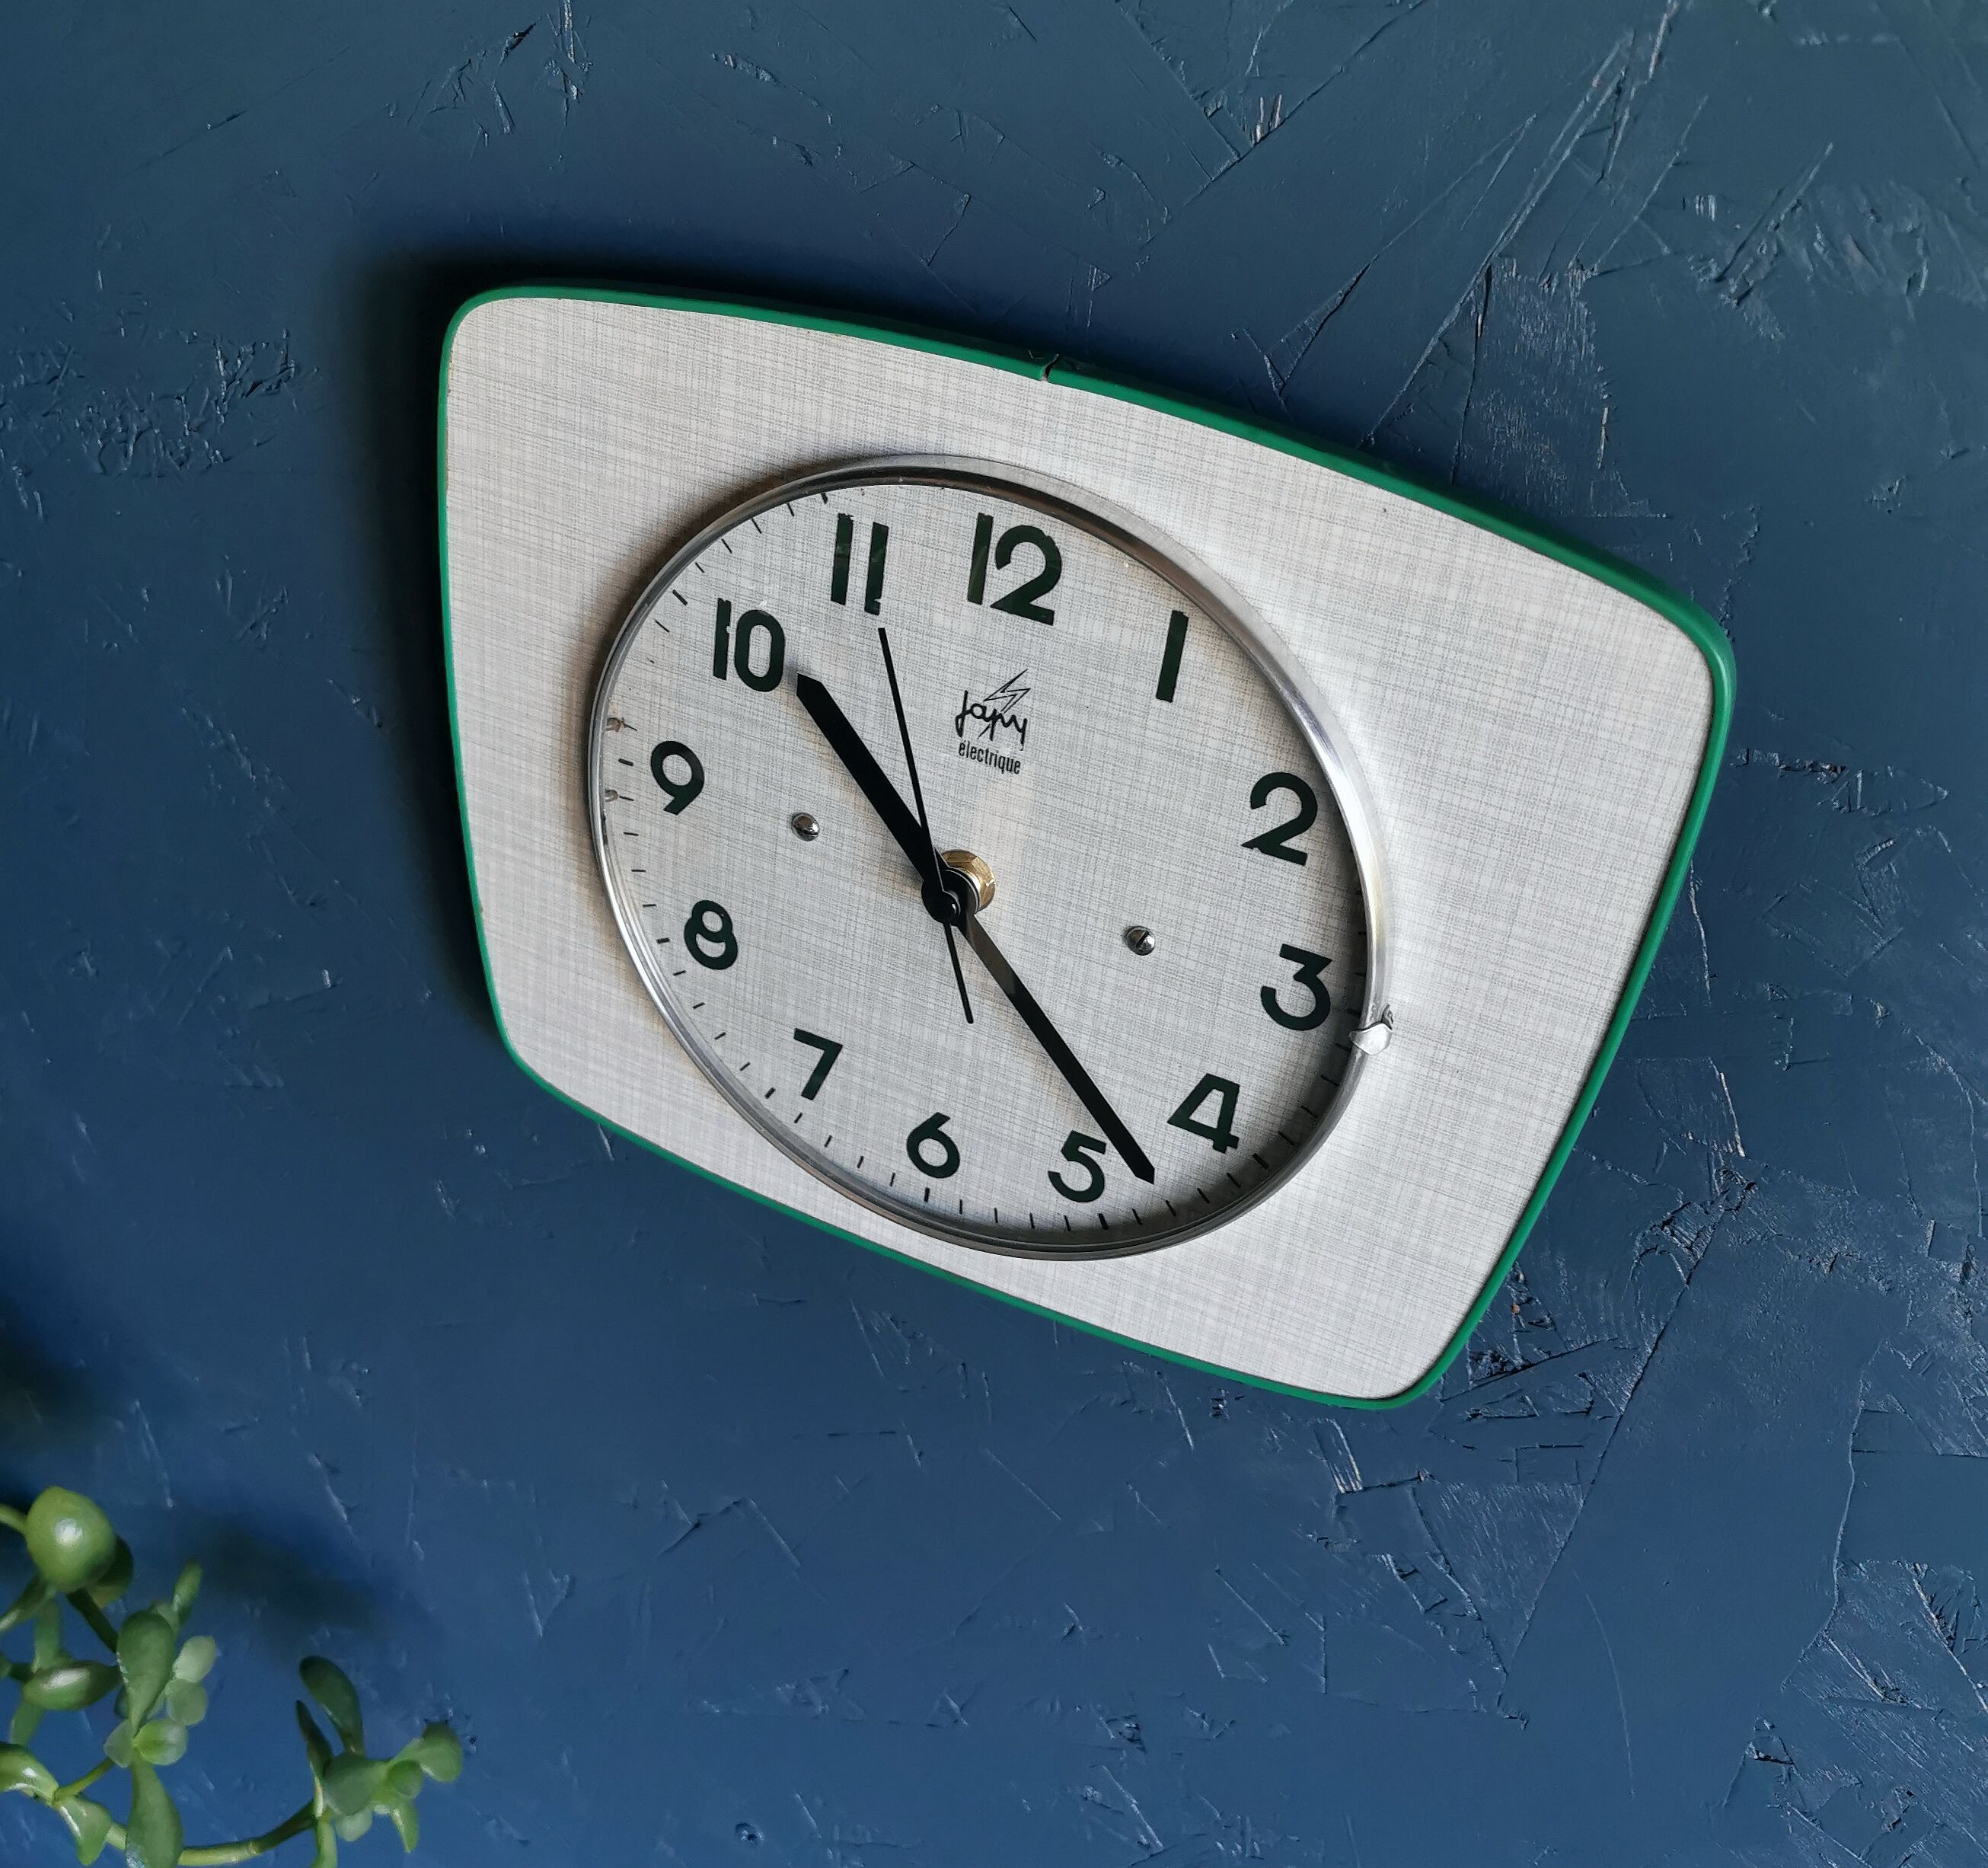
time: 10:22
